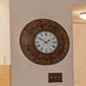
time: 1:50
